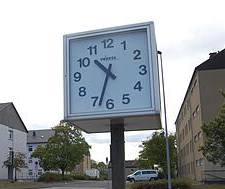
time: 10:33
